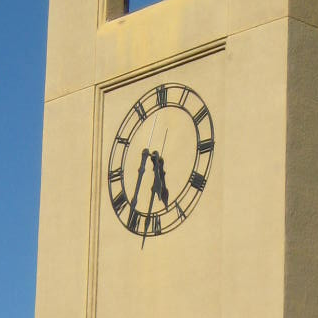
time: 5:32
